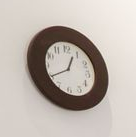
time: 12:40
